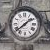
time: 1:38
